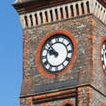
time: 9:53
